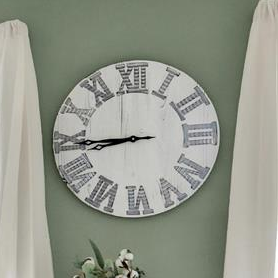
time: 8:44
